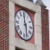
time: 5:59
